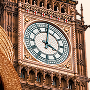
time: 4:01
